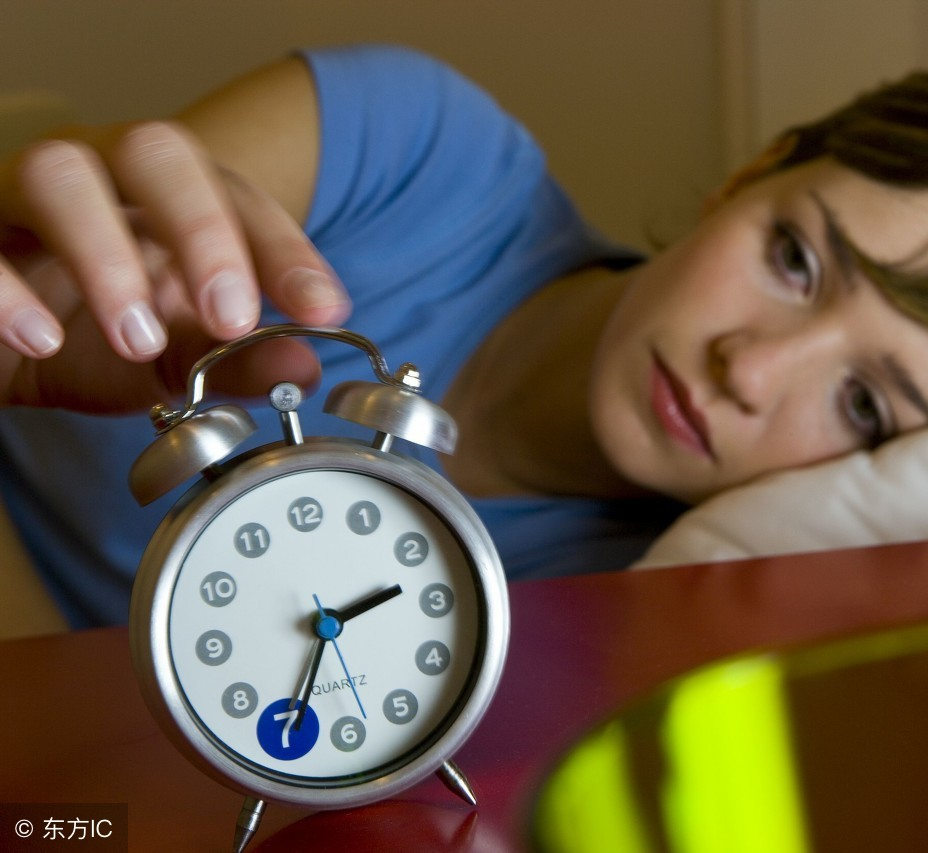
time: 2:34
